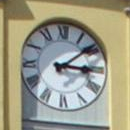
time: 3:08
